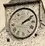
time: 2:09
